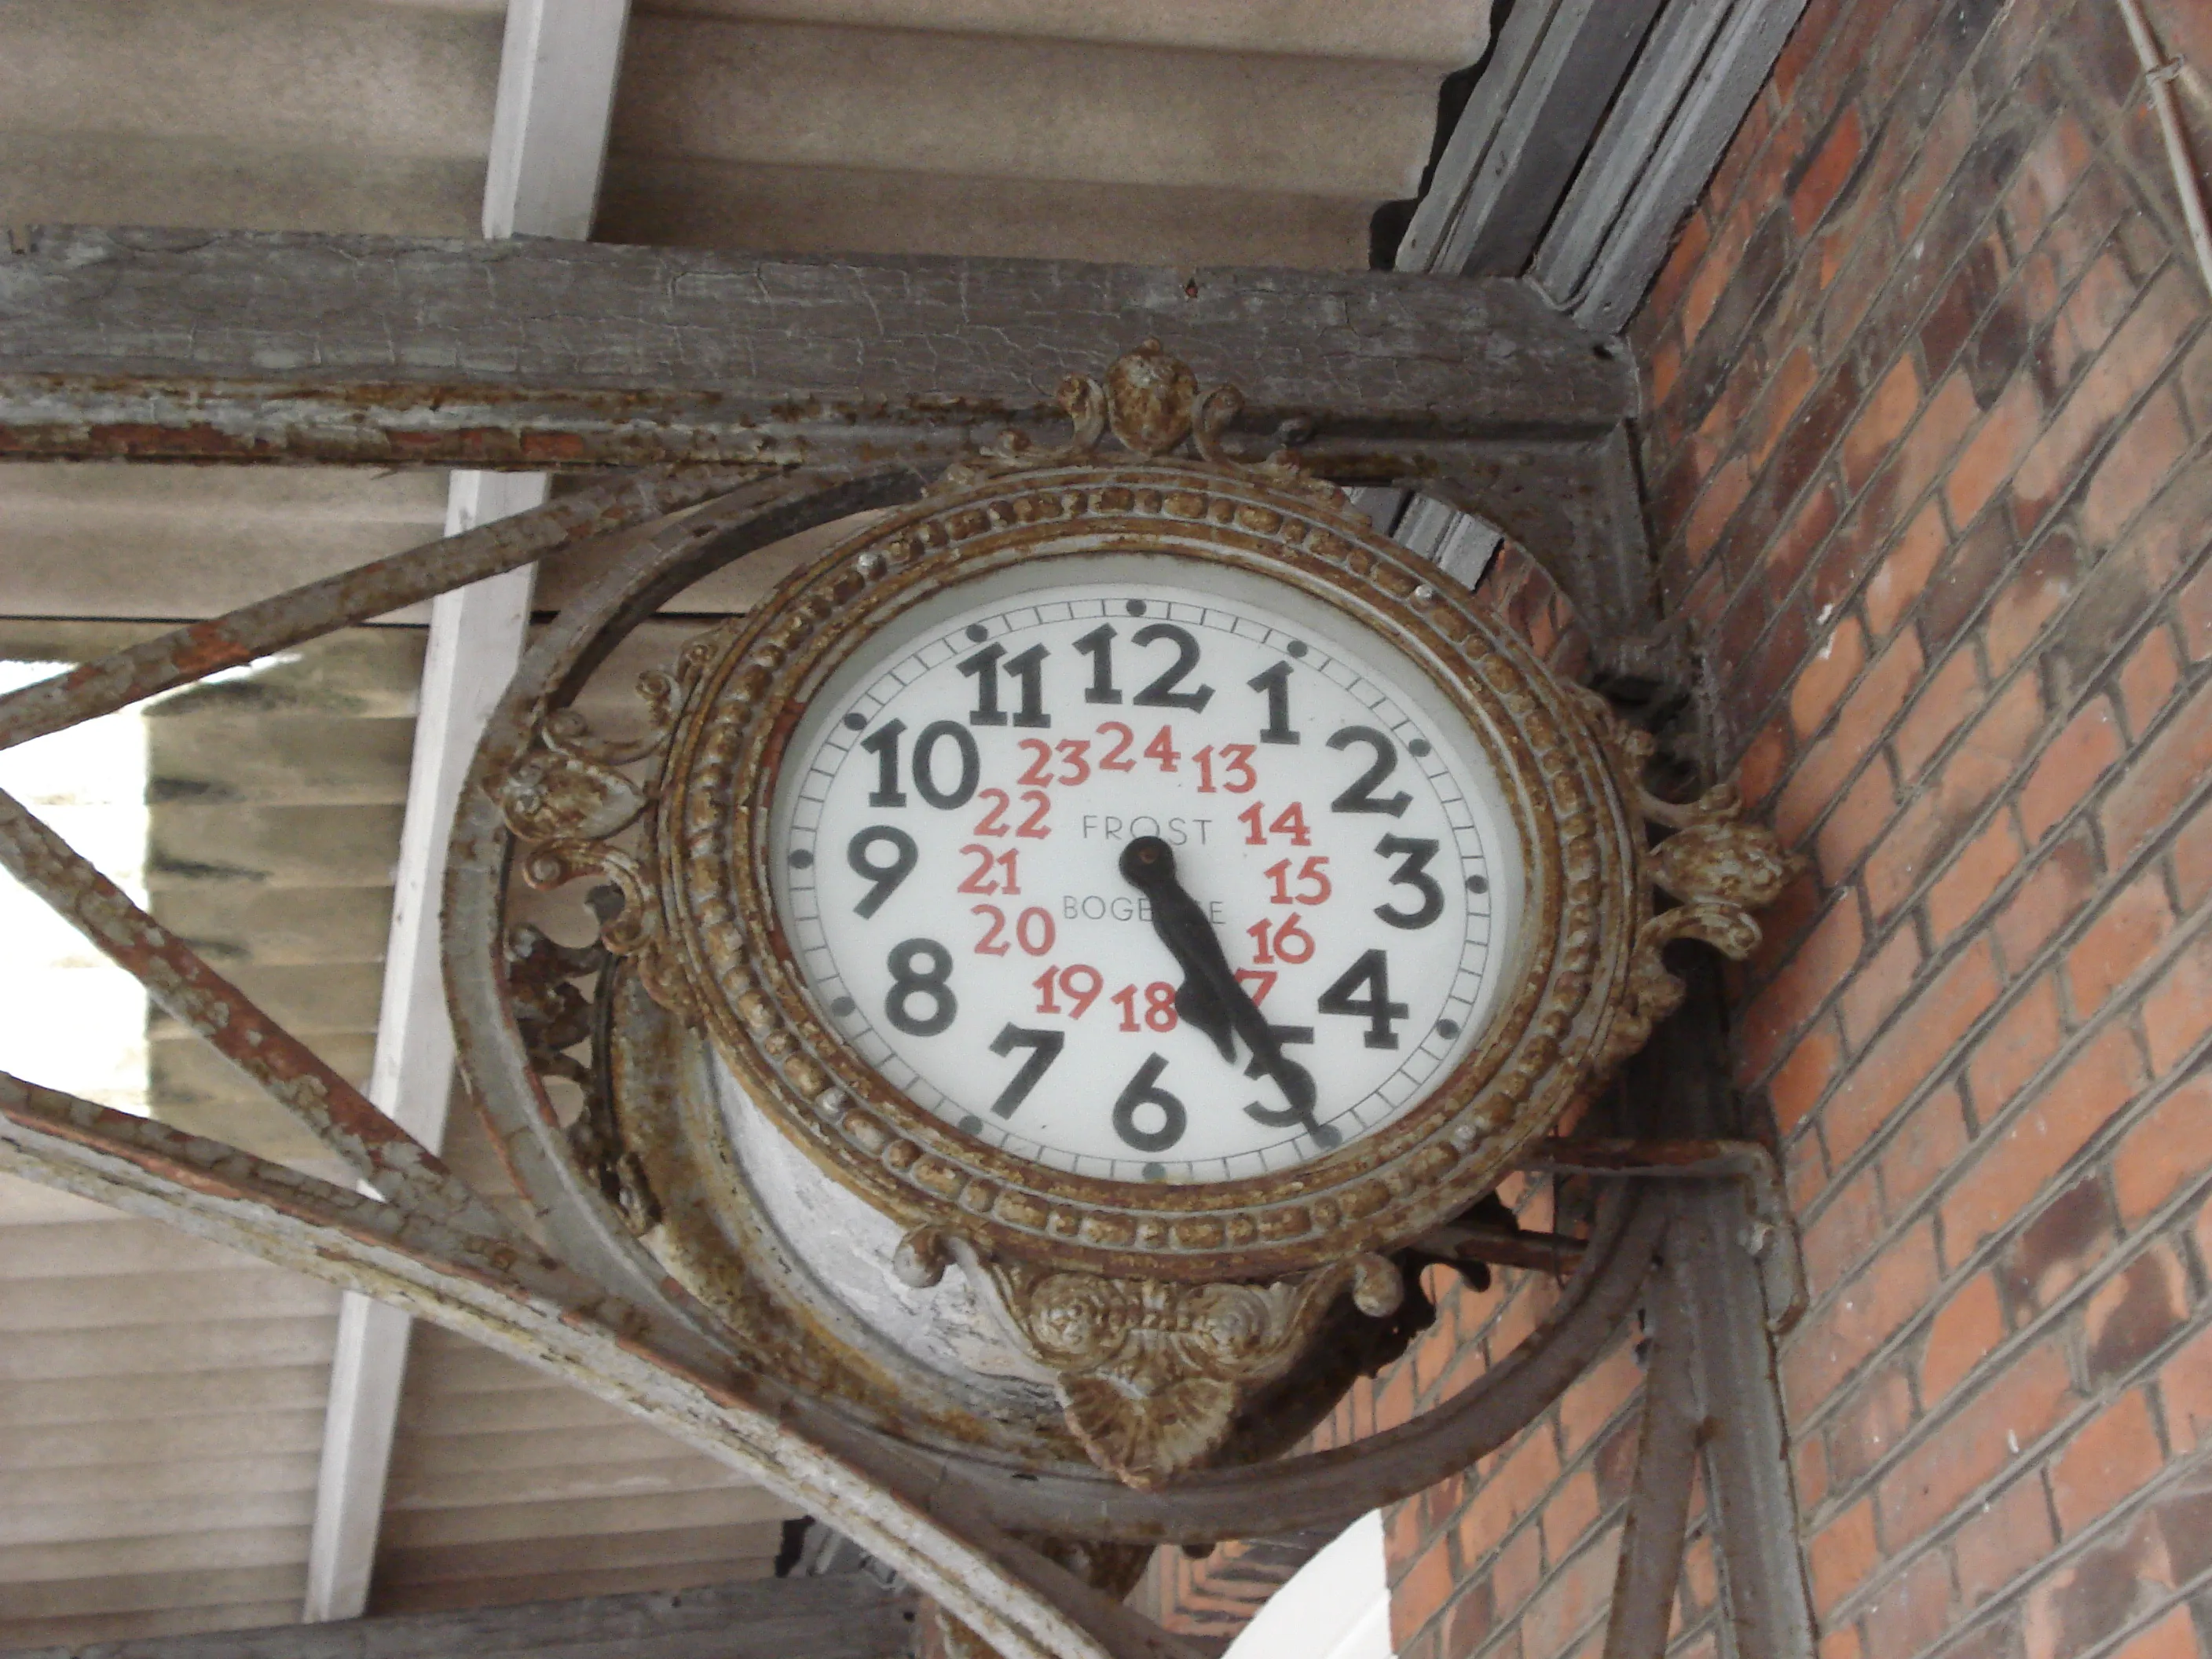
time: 5:24
